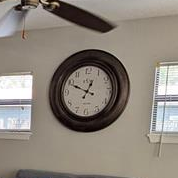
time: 12:49
